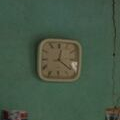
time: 12:21
